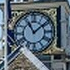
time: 11:08
